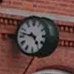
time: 4:47
